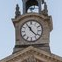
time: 11:22
